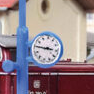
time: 2:45
